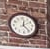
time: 12:23
